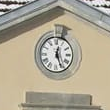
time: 12:26
